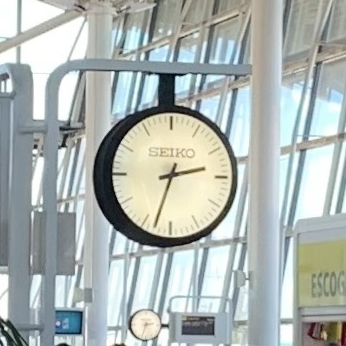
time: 2:32
